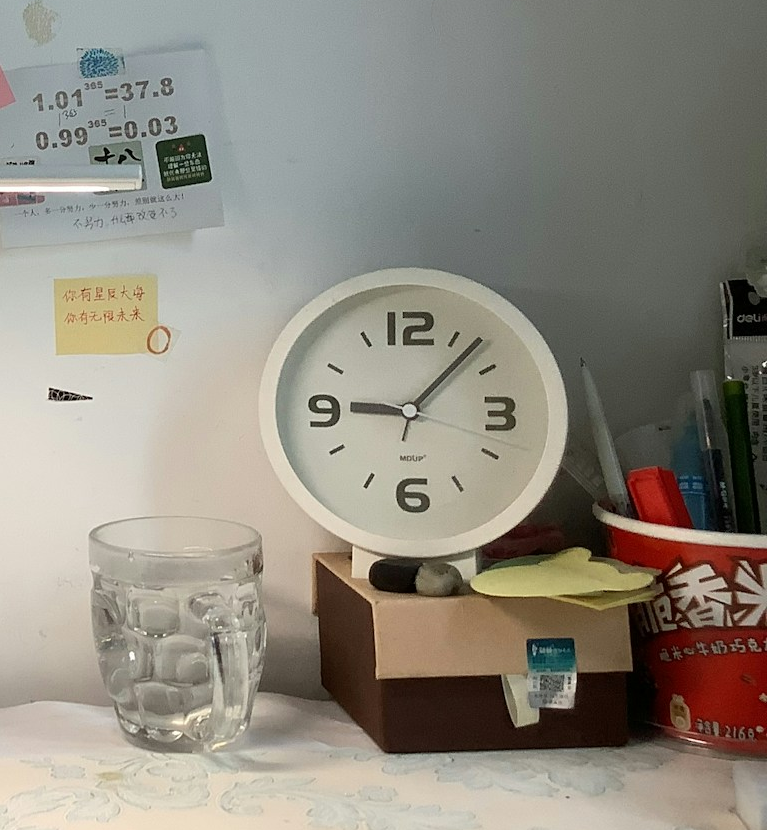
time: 9:07
